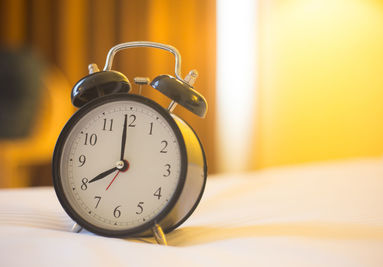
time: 7:59
